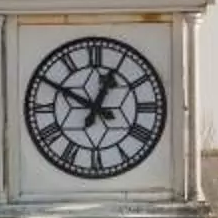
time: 12:49
